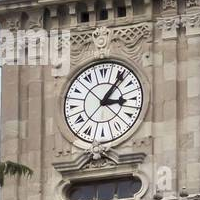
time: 3:06
